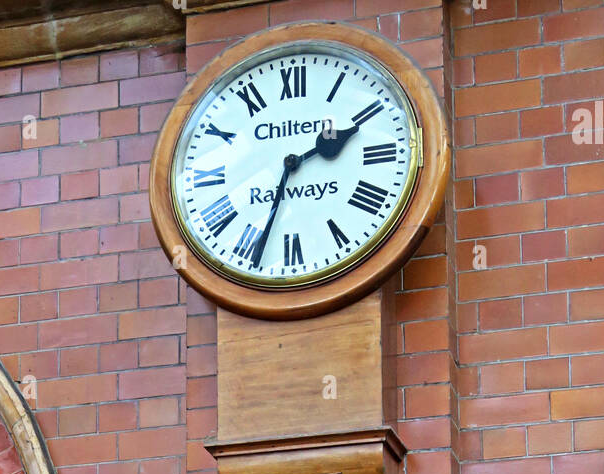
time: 2:33
